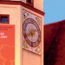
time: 8:11
